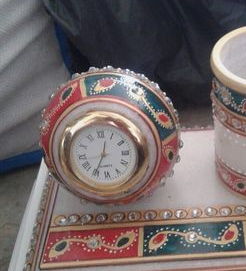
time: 12:34
